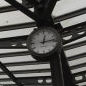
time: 12:14
